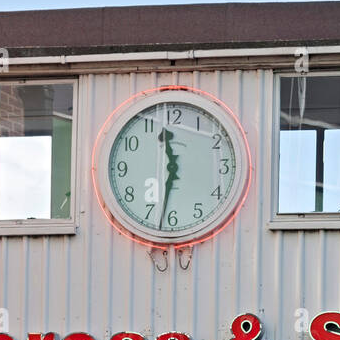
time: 11:32
